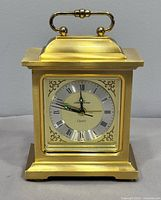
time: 11:48
